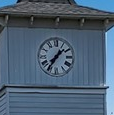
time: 1:35
